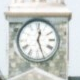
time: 12:26
